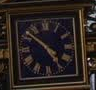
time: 4:51
